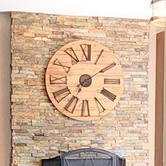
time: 7:09
